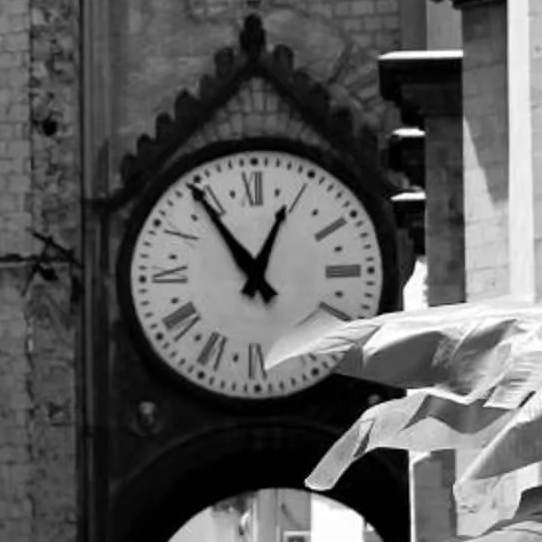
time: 12:54
